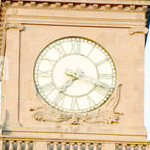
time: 7:18
